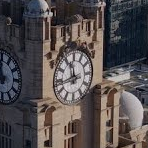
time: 11:43
